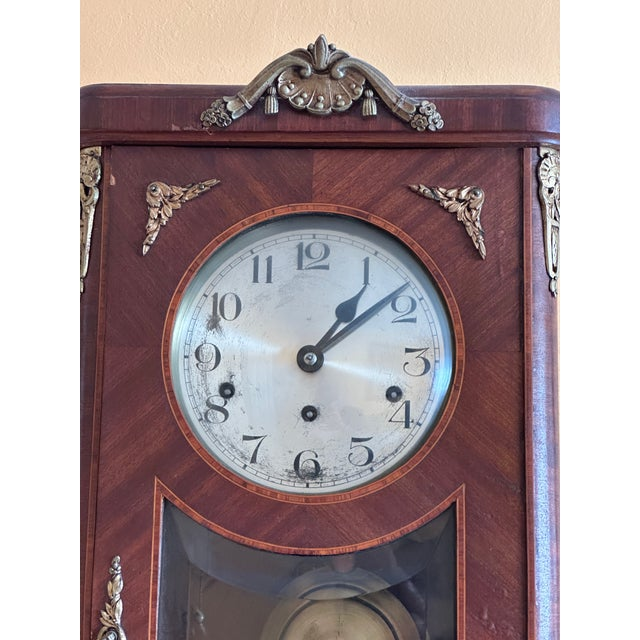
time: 1:08
